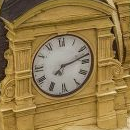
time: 7:12
